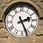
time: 2:26
